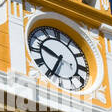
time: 9:34
